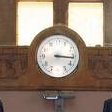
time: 3:16
